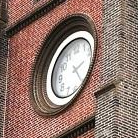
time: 2:24
